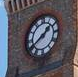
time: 1:39
